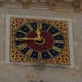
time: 11:46
